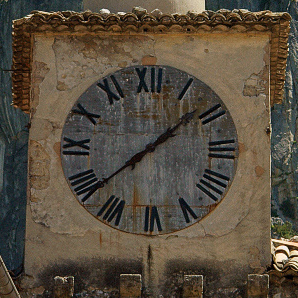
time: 1:38
